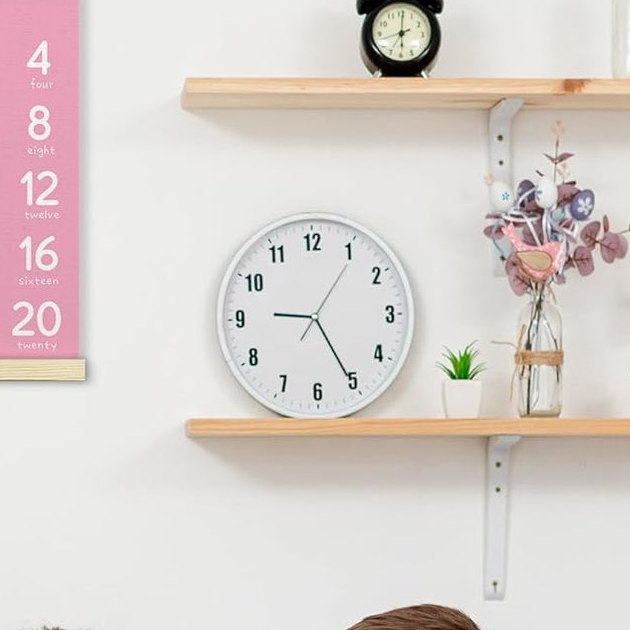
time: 9:25
